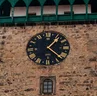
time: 1:22
